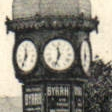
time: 11:33
